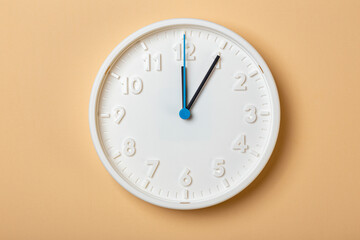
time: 12:05
